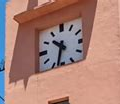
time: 10:32
